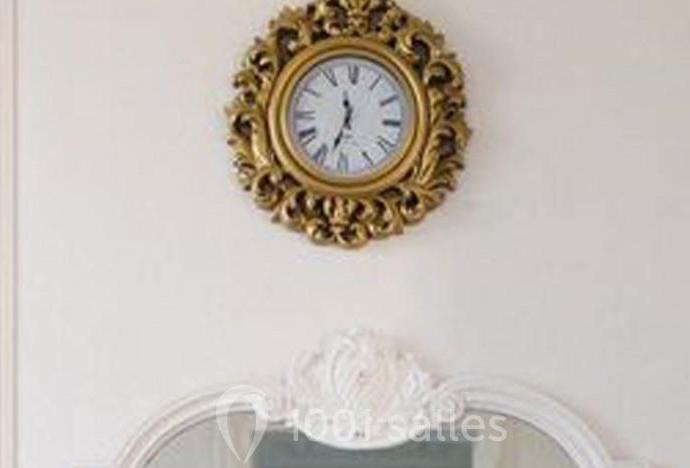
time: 11:33
